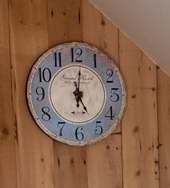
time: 5:01
